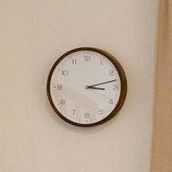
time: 3:12
